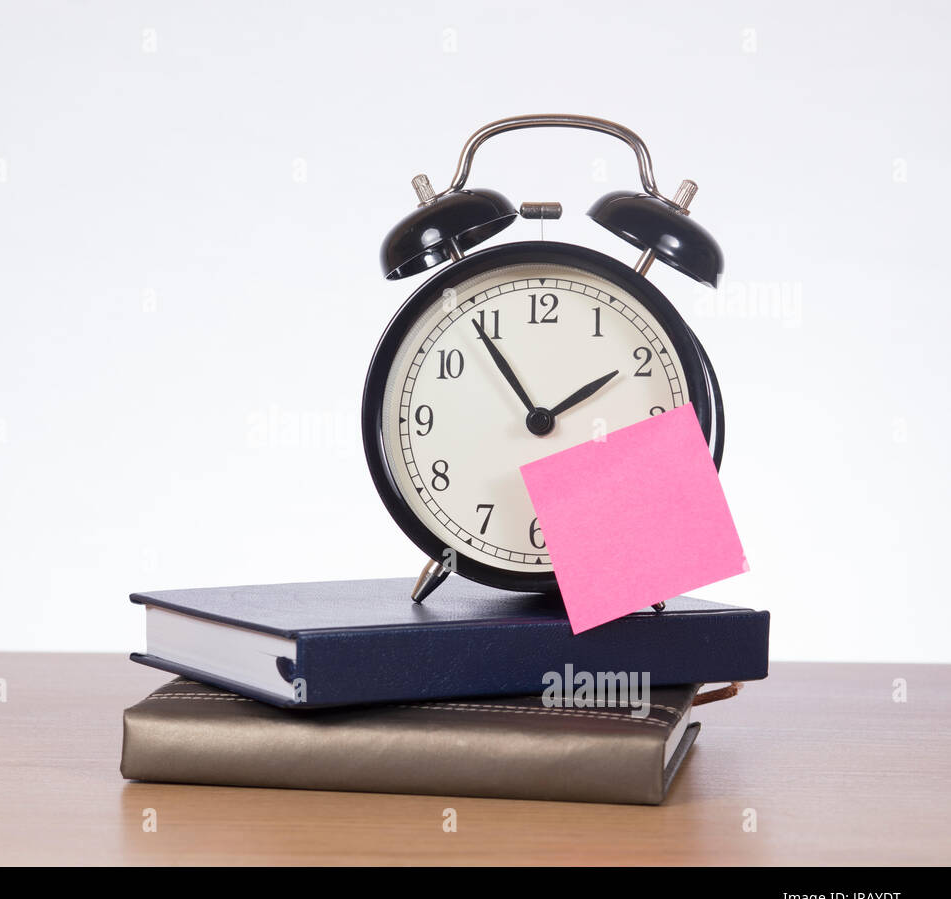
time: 1:54
